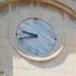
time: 9:42
